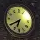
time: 6:39
